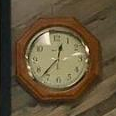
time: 12:37
